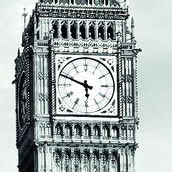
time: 5:48
